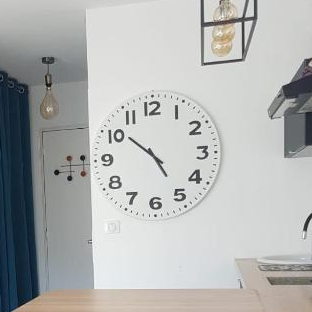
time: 4:51
